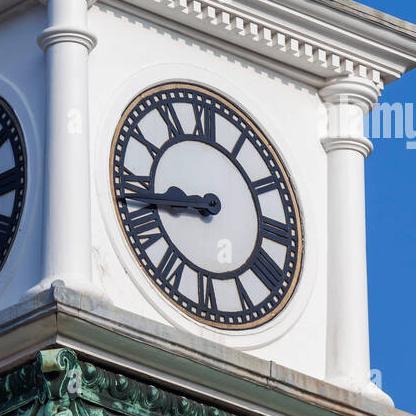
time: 8:43
